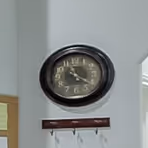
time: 4:21
